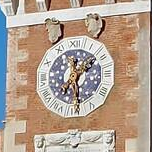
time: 1:29
